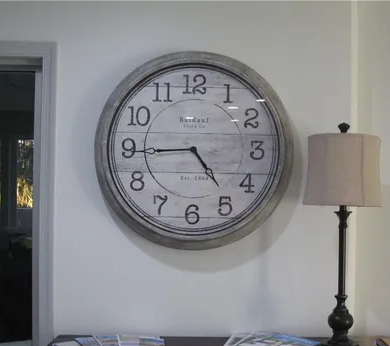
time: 4:44
